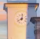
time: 8:02
